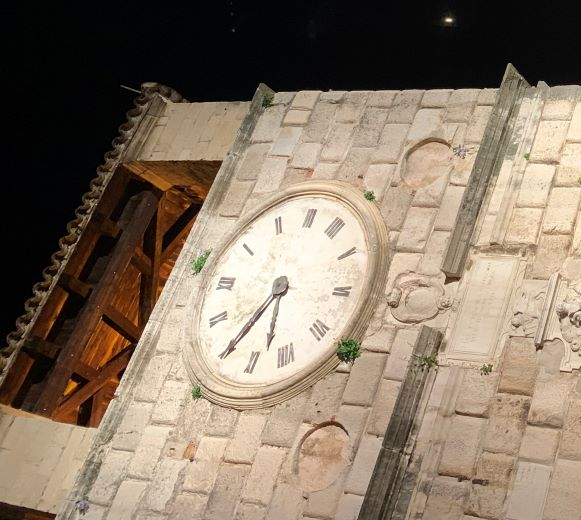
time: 5:34
